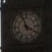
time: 3:57
